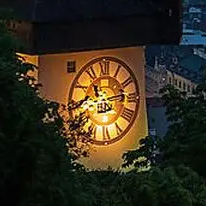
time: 11:13
